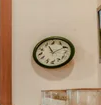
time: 11:10
